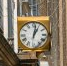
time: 1:02
